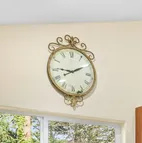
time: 9:10
